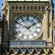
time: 1:49
